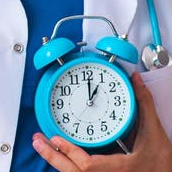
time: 1:00
